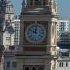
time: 11:50
